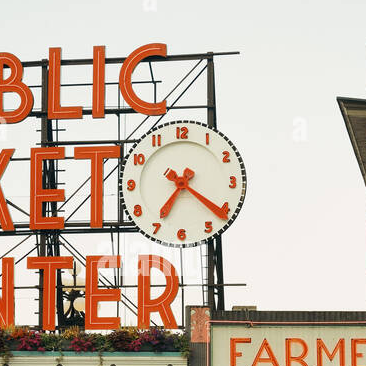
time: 7:20
